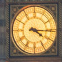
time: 4:15
